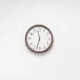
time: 11:32
